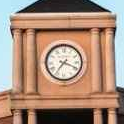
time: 7:18
